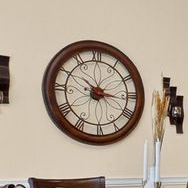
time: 10:16
